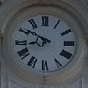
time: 8:50
